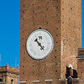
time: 10:22
